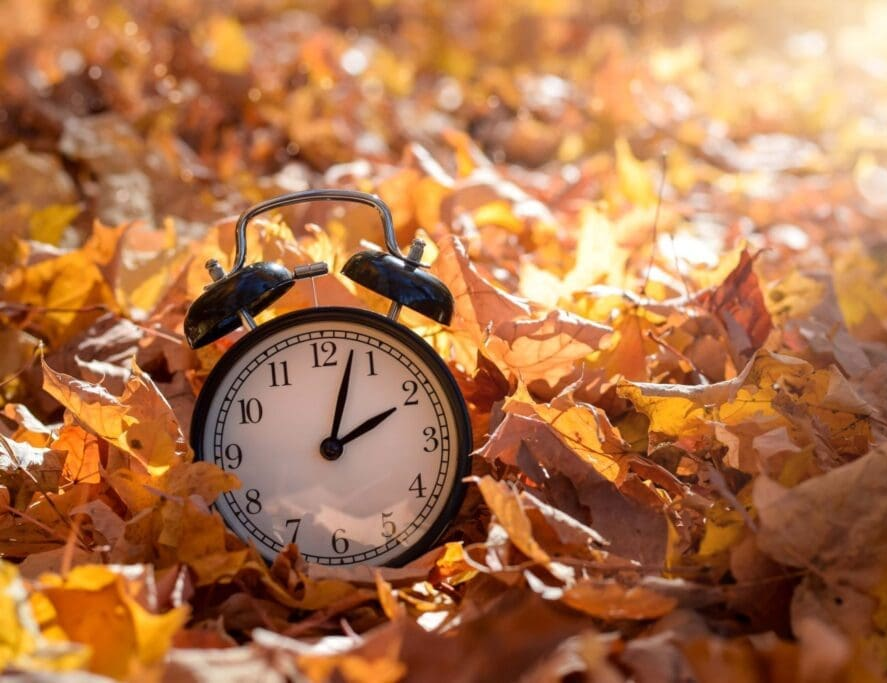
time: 2:02
